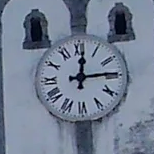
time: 12:14
